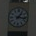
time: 1:16
